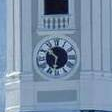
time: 10:31
